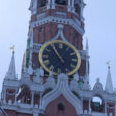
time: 10:54
